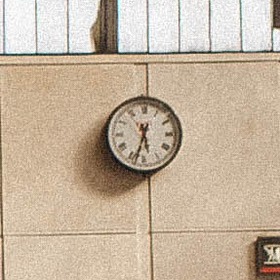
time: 5:32
